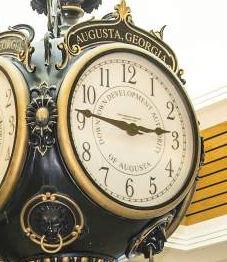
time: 2:46
